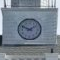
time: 1:49
